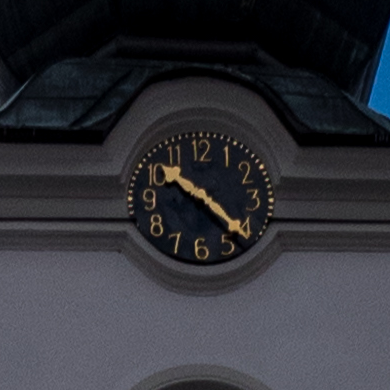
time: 10:22
